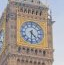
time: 4:30
